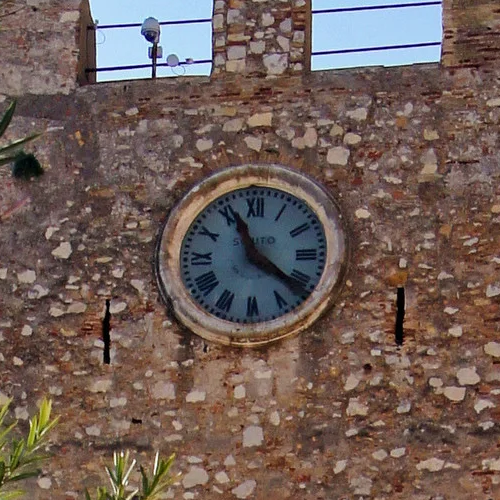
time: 11:21
